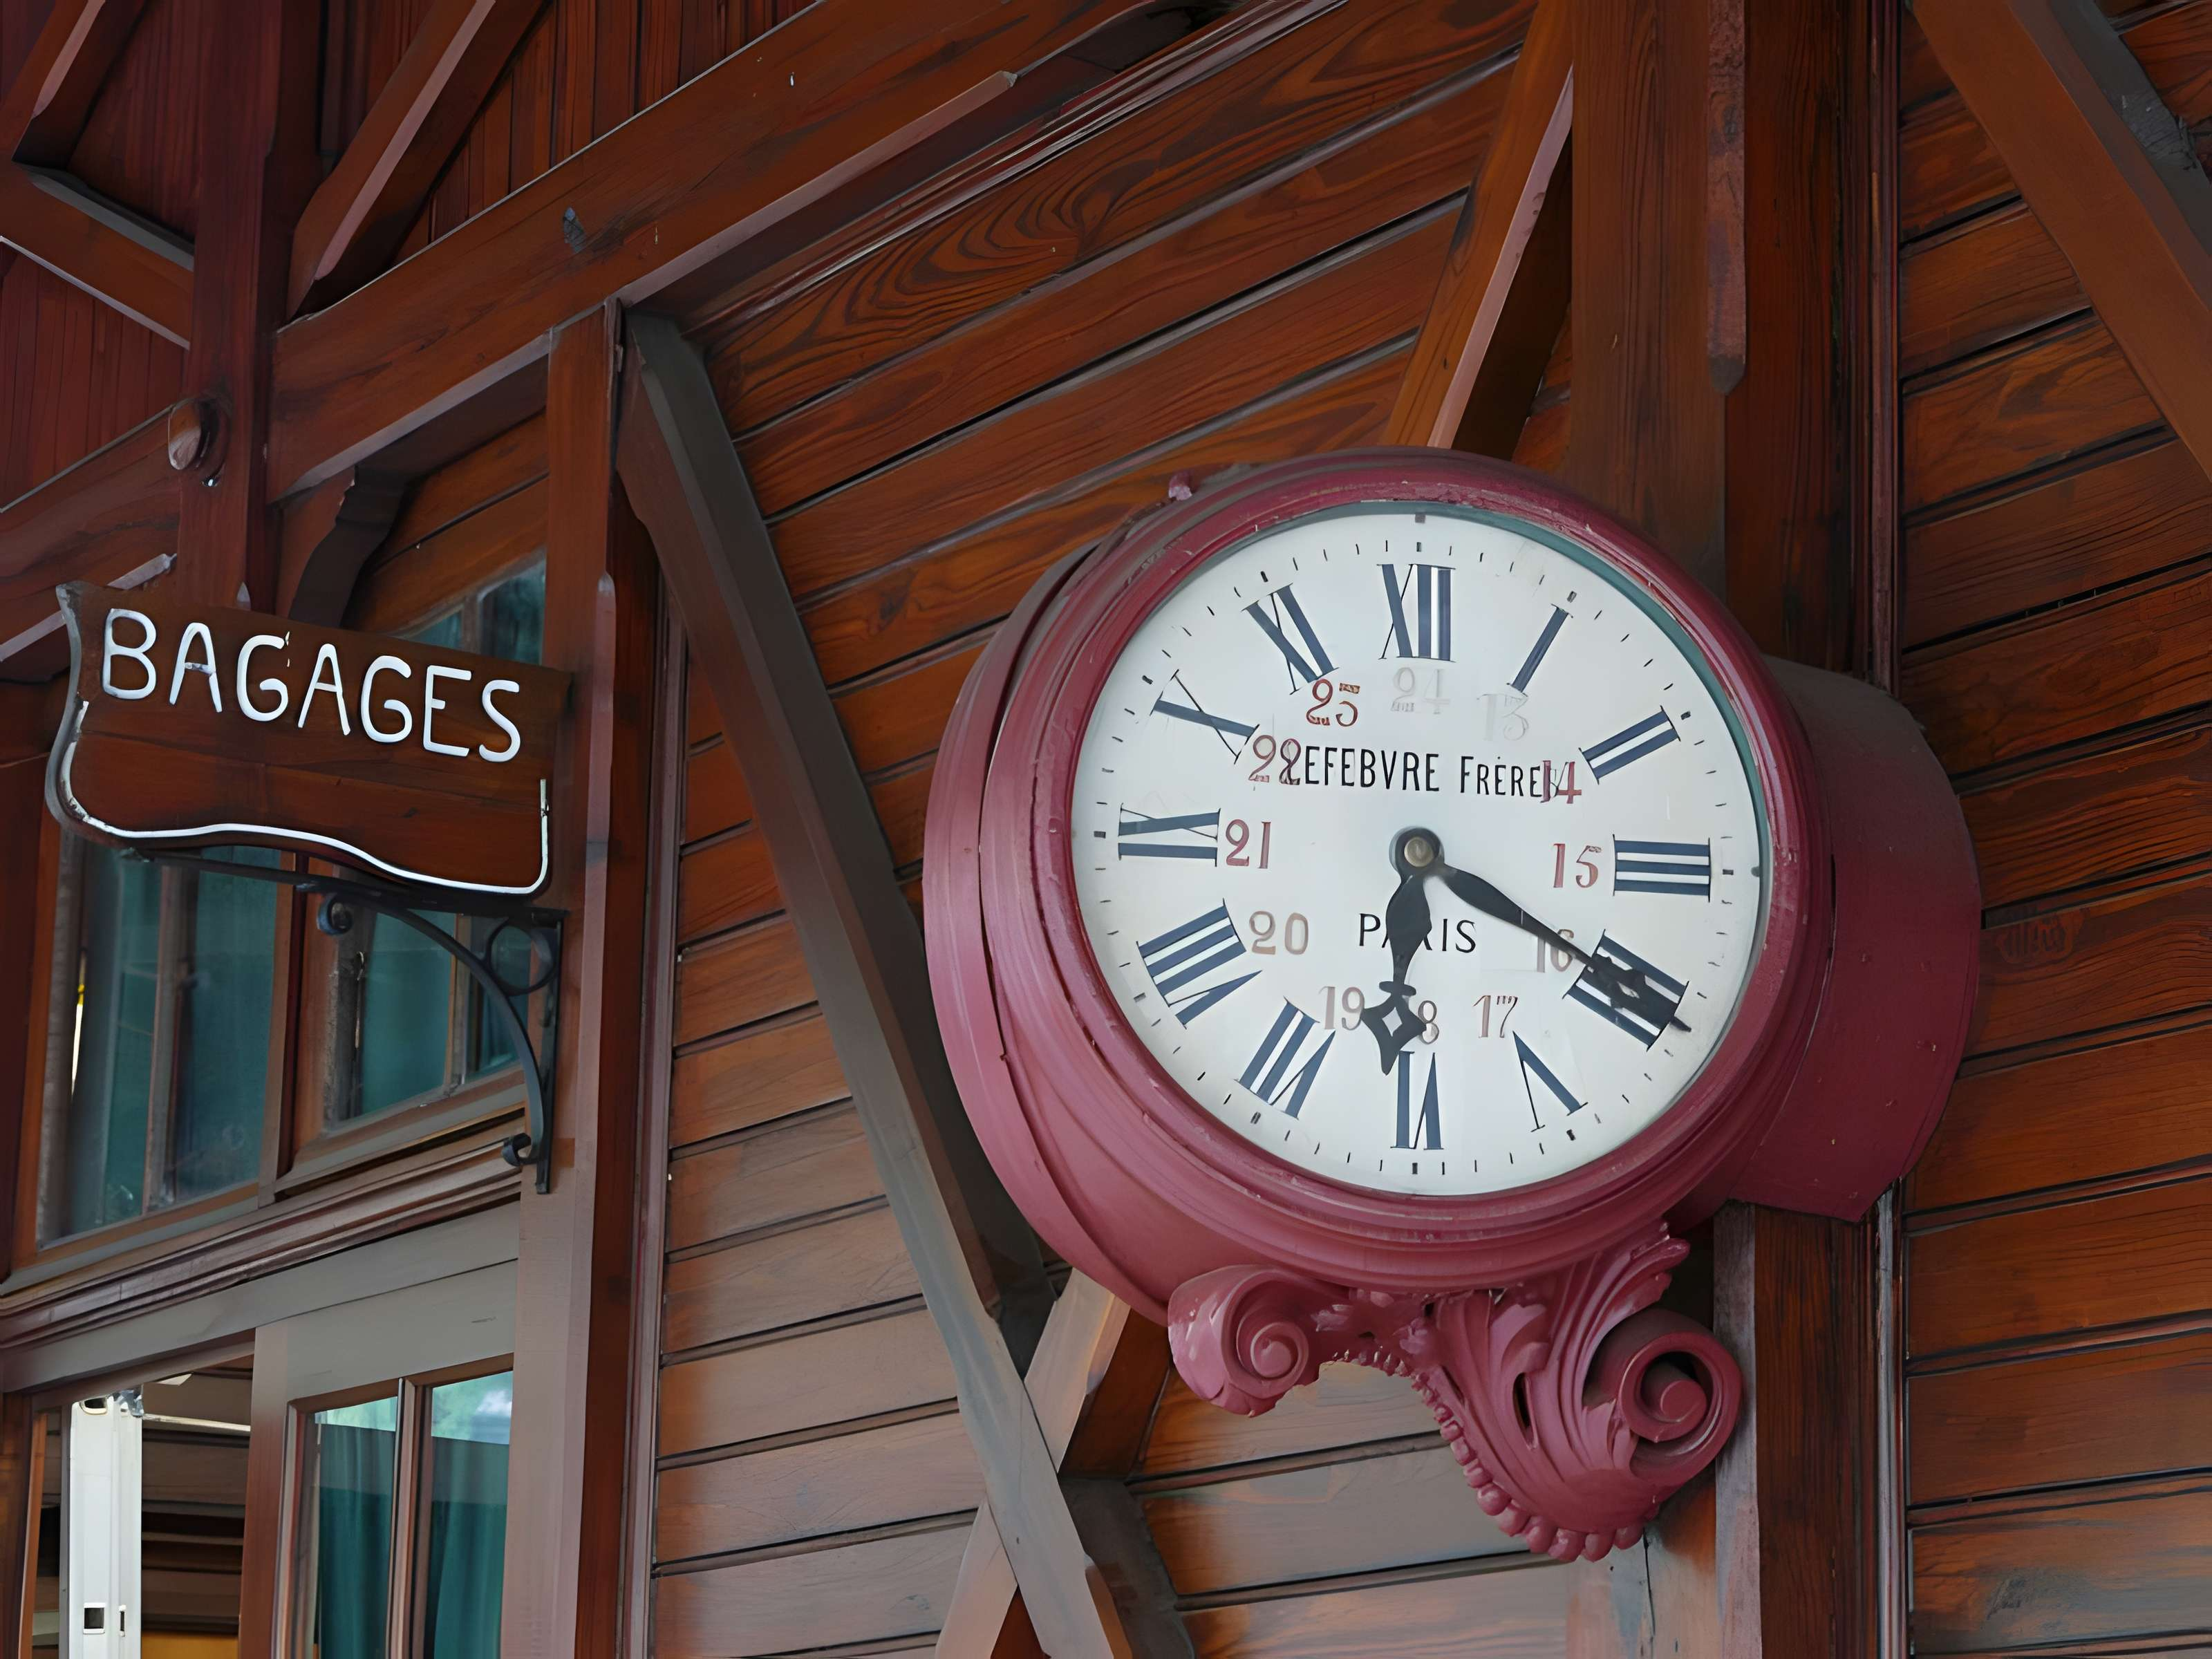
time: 6:19
